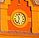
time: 11:32
